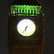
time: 6:35
